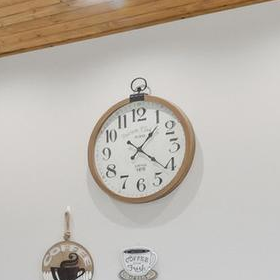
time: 1:21
